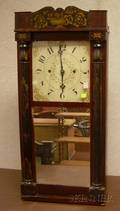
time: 5:59
